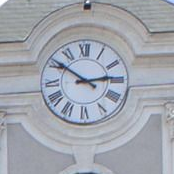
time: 2:50
